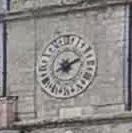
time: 8:11
